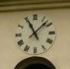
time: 11:07
